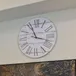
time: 11:17
